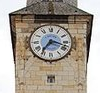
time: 7:17
